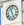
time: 11:26
